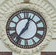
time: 7:03
